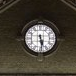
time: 5:29
